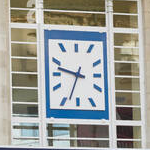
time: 9:33
